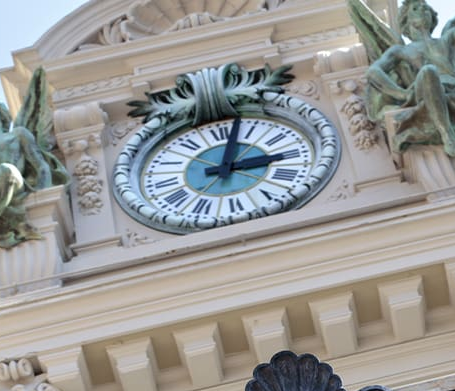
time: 3:02
